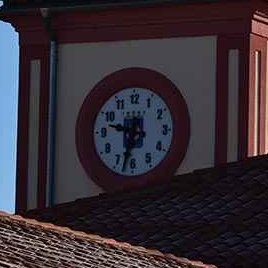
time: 9:32
